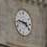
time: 9:22
